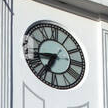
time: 6:43
